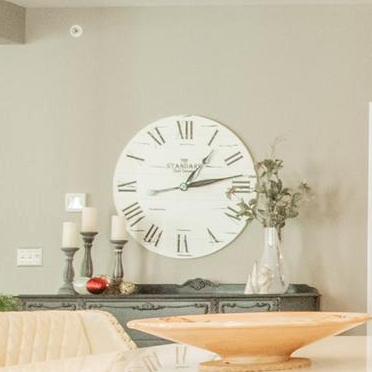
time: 1:13
